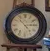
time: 2:53
